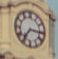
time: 7:15
